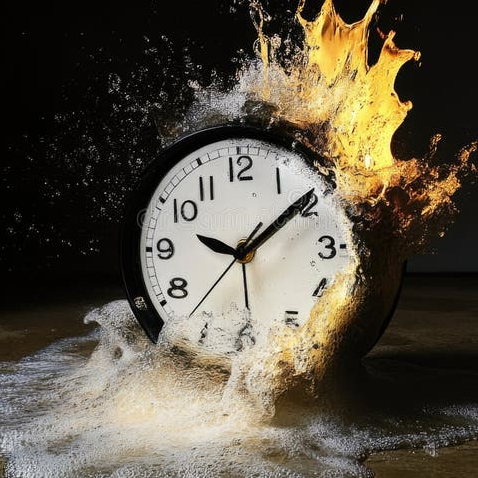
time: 9:09
